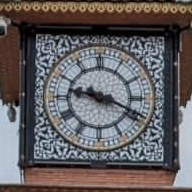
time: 9:19
